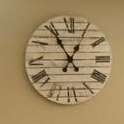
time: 12:55
